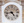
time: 4:42
